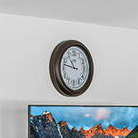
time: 10:47
